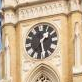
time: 1:28
